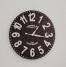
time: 1:16
